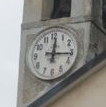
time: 12:15
